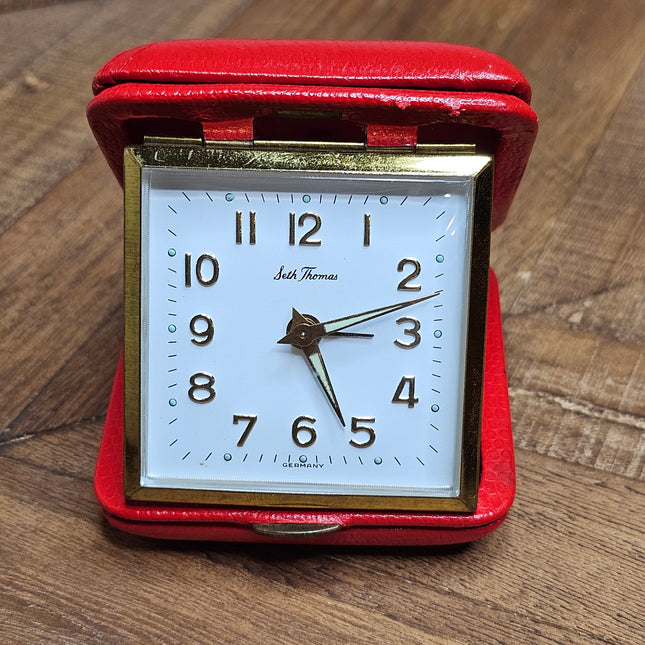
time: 3:12
